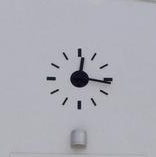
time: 12:16
